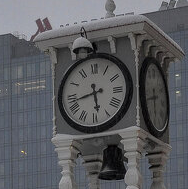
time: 5:42
